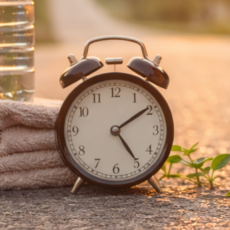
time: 5:09
